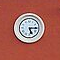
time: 5:15
